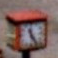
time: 11:25
